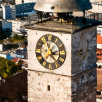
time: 2:23
